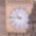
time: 10:45
